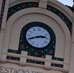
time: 2:41
